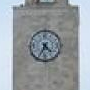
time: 4:34
